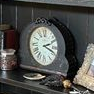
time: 2:18
